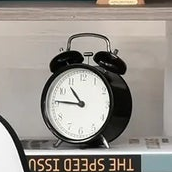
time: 10:45
